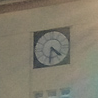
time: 4:31
